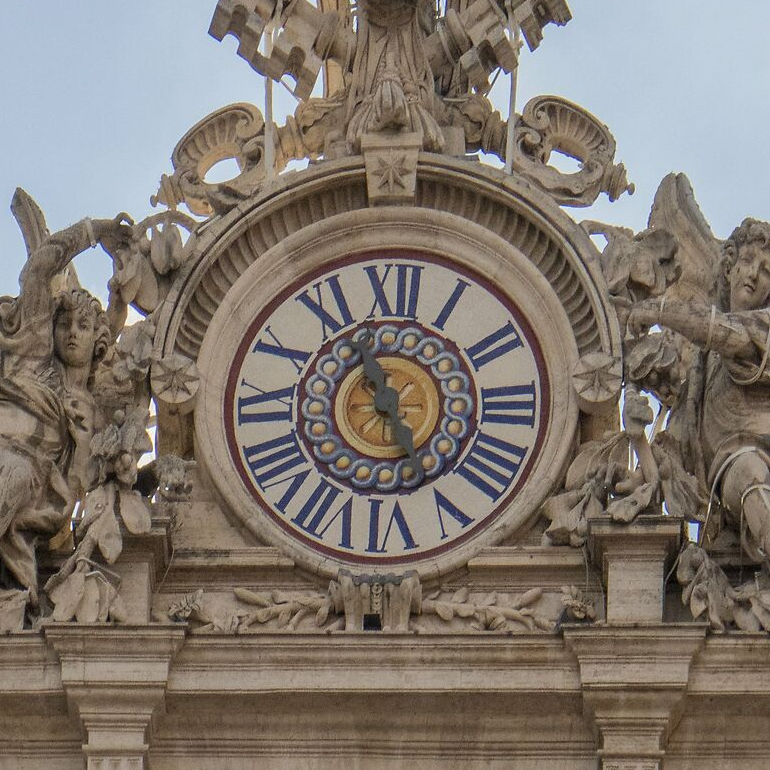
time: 4:56
